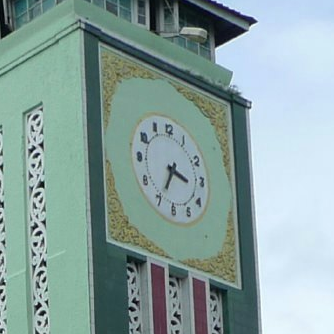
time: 3:34
